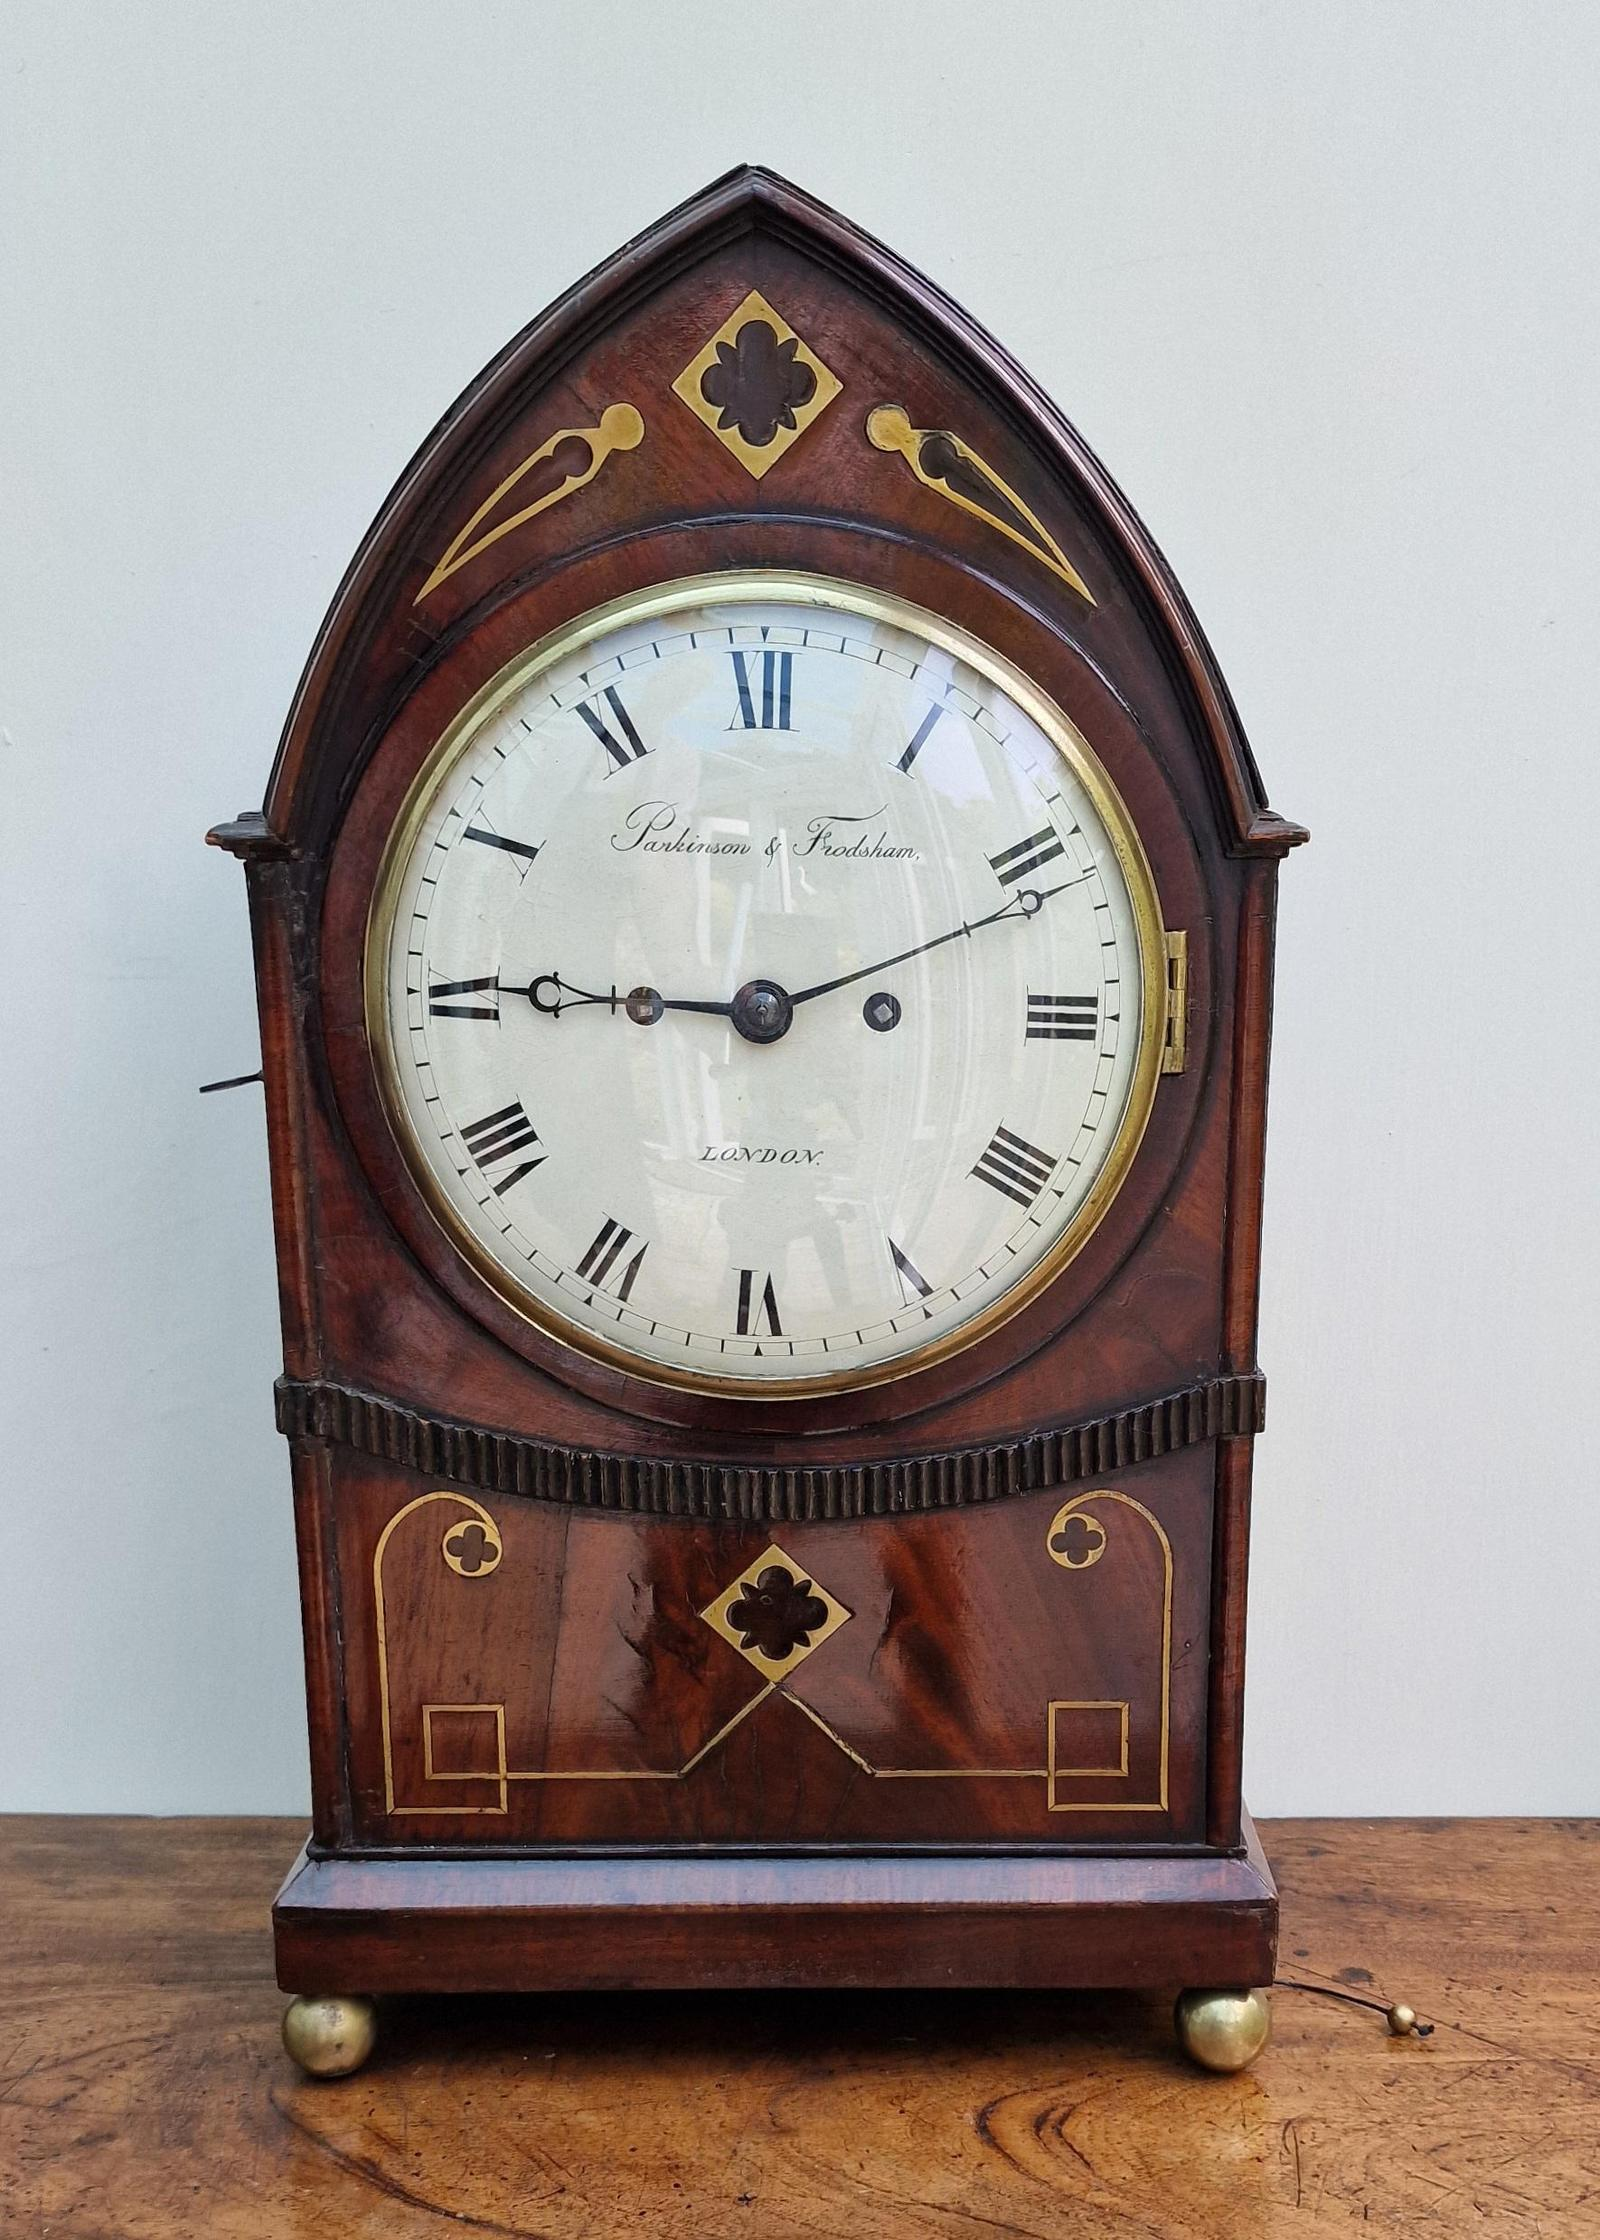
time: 9:11
